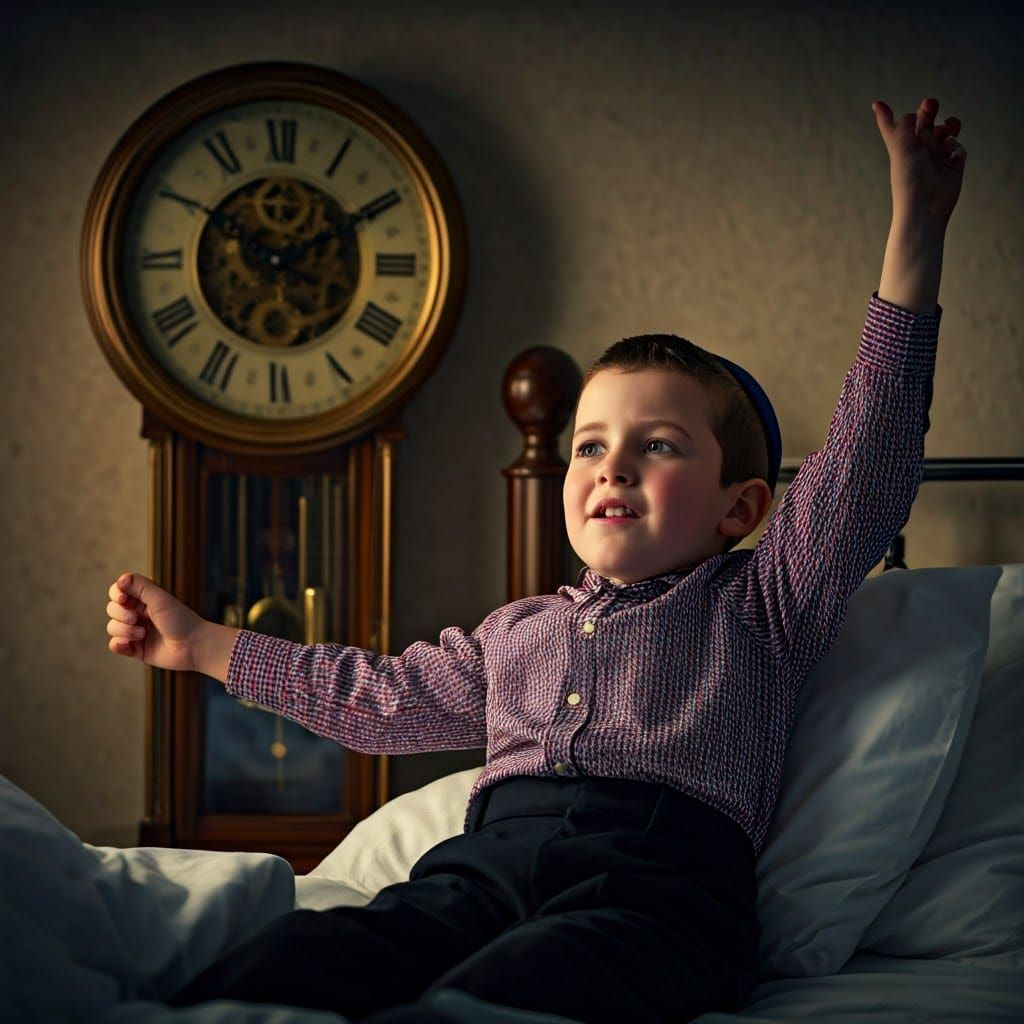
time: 10:10
